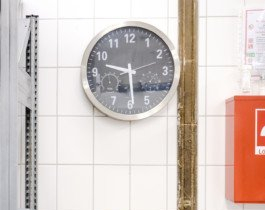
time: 9:29
